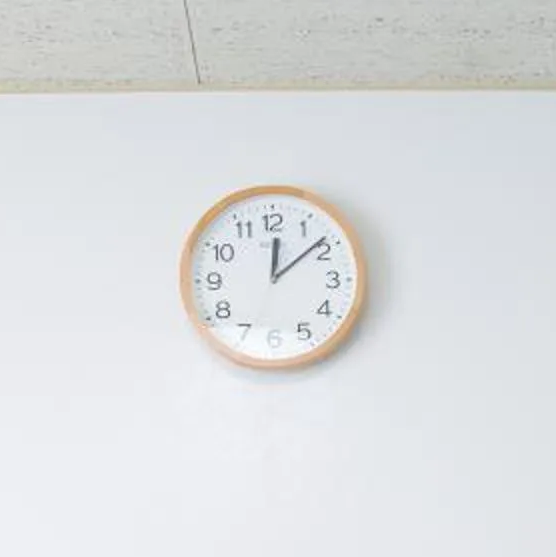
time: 12:08
